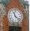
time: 11:21
